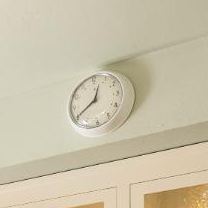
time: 12:40
